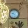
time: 9:22
